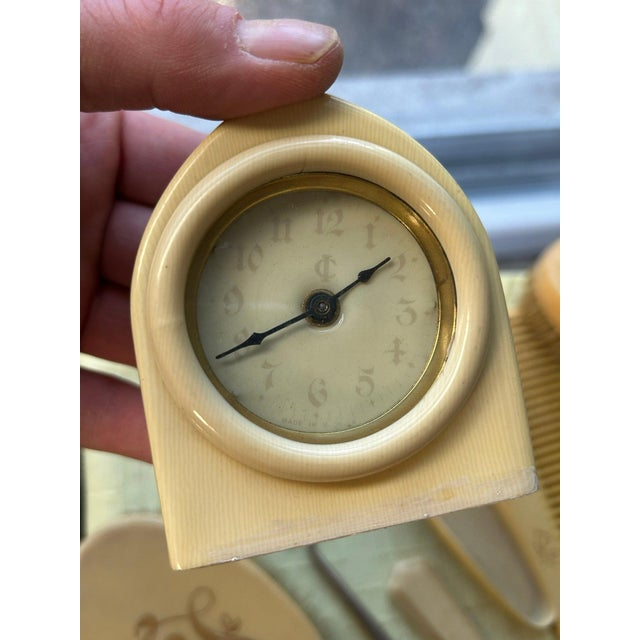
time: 1:40
